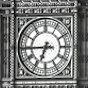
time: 6:44
